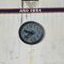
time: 9:38
